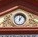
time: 12:06
